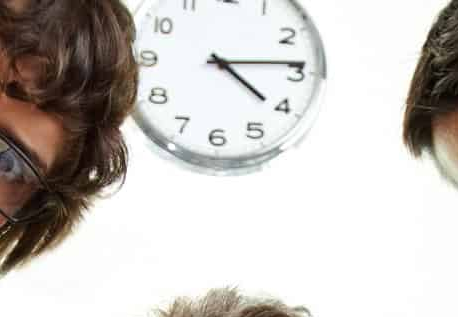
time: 4:13
